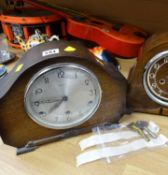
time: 7:45
